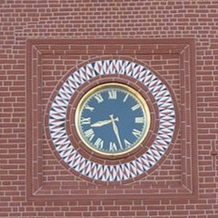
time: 8:27
